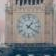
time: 1:20
